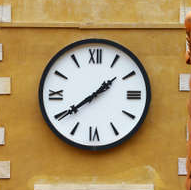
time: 1:39
